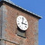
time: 3:02
